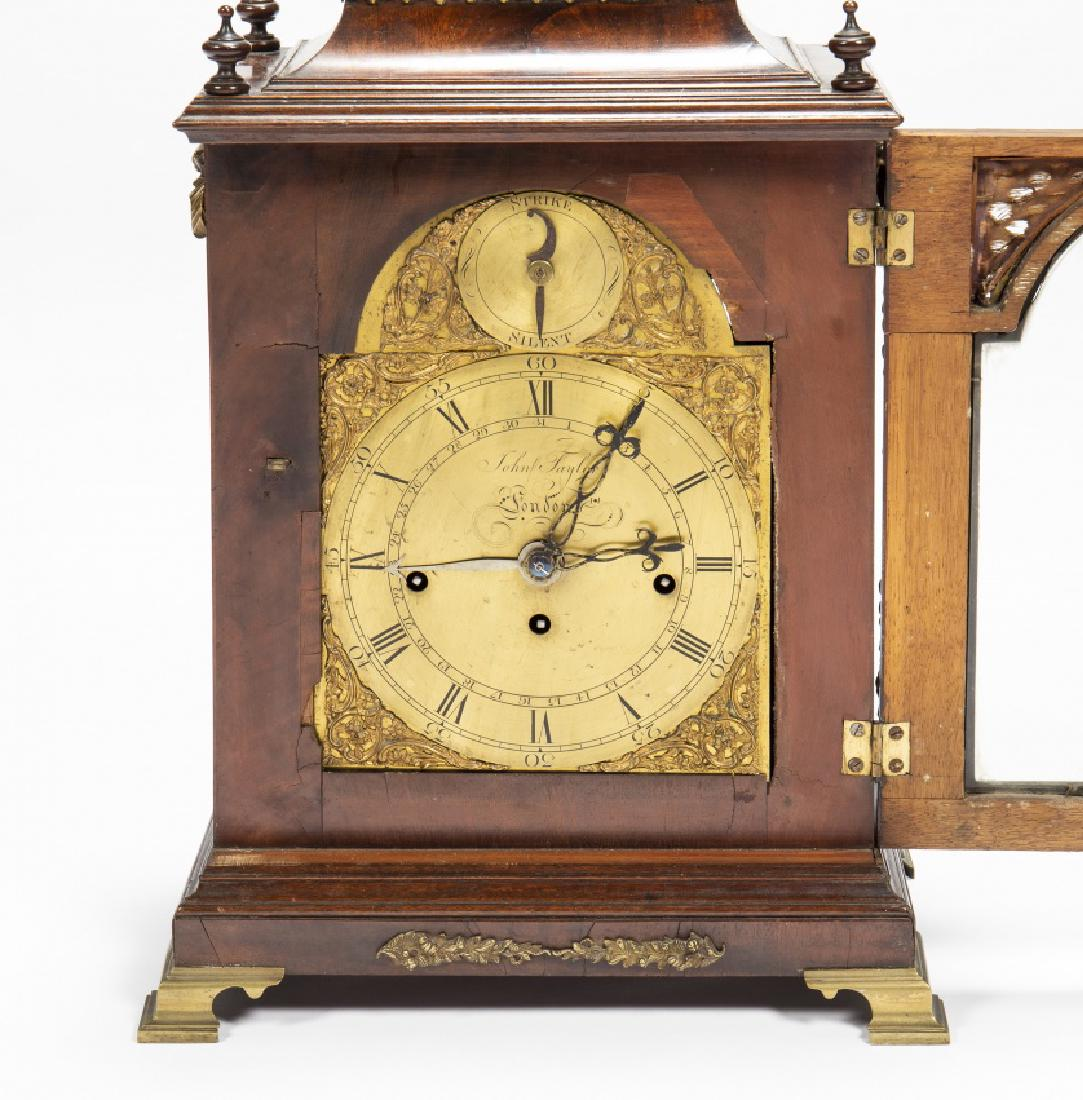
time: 1:13
